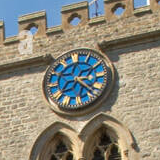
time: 3:22
